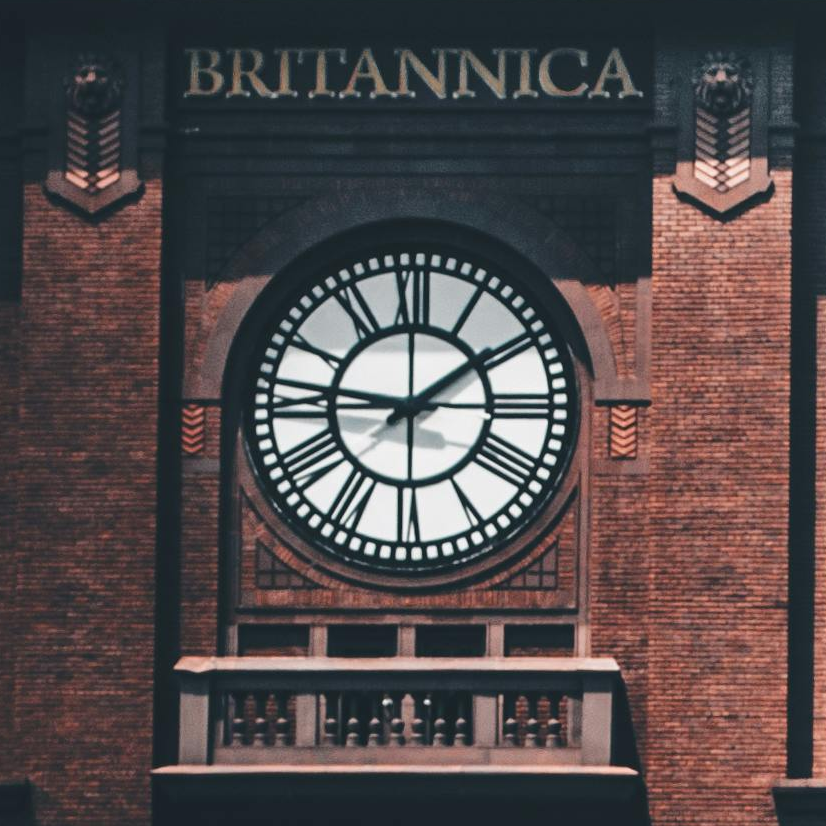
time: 1:46
